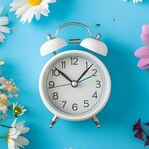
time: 10:07
